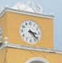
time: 3:22
